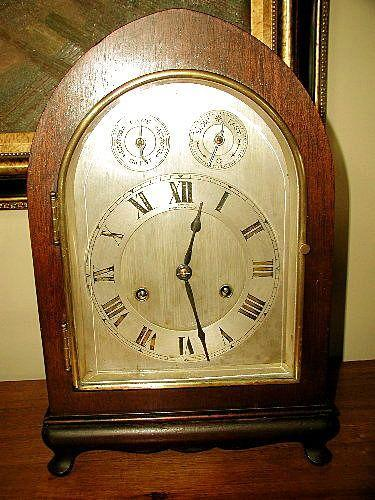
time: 12:27
